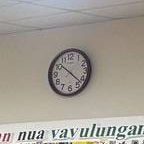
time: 10:22
